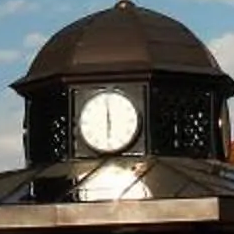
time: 5:59
